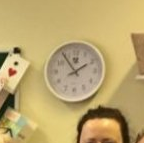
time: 1:54
